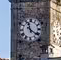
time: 11:21
